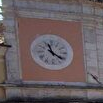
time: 11:21
